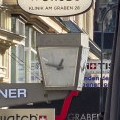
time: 12:46
